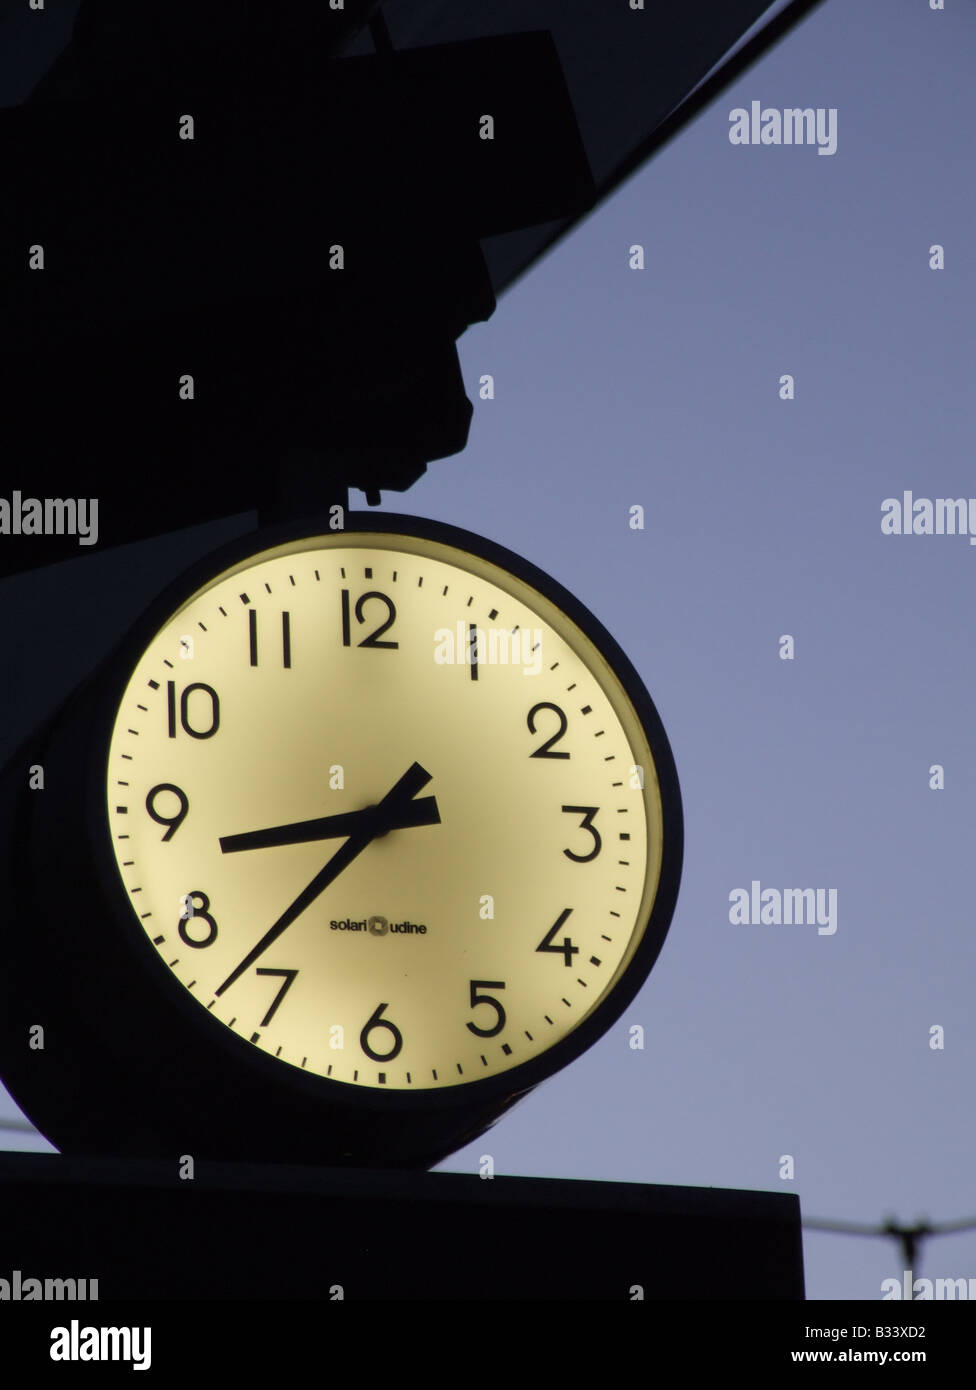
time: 8:37
